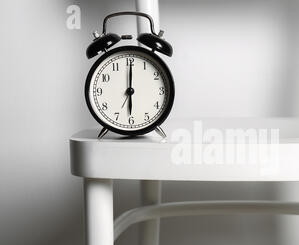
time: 6:00
